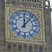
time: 12:06
